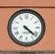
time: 4:21
